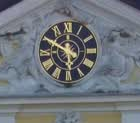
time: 5:49
